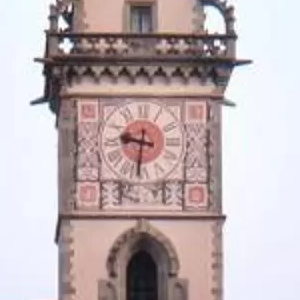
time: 9:32
